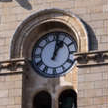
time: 1:01
